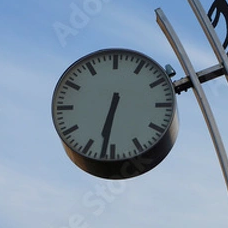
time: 6:32
